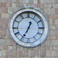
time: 12:34
